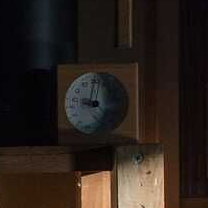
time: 9:01
